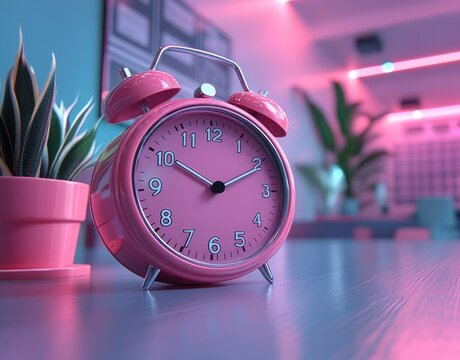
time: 9:49
